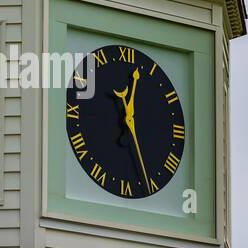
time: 12:26
